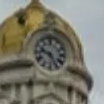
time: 9:25
